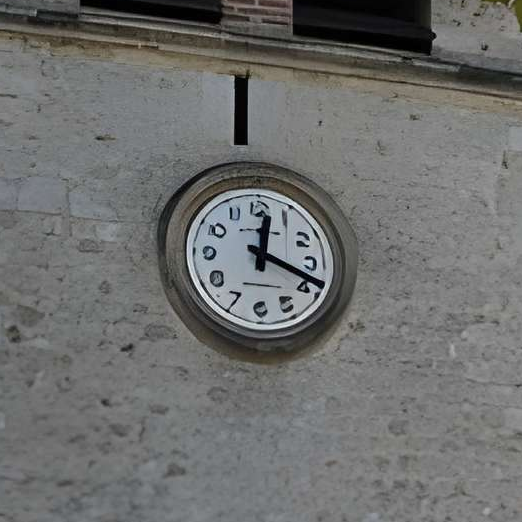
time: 12:18
